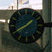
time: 1:40
